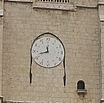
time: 11:42
